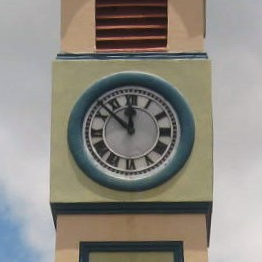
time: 11:52
